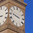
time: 2:46
